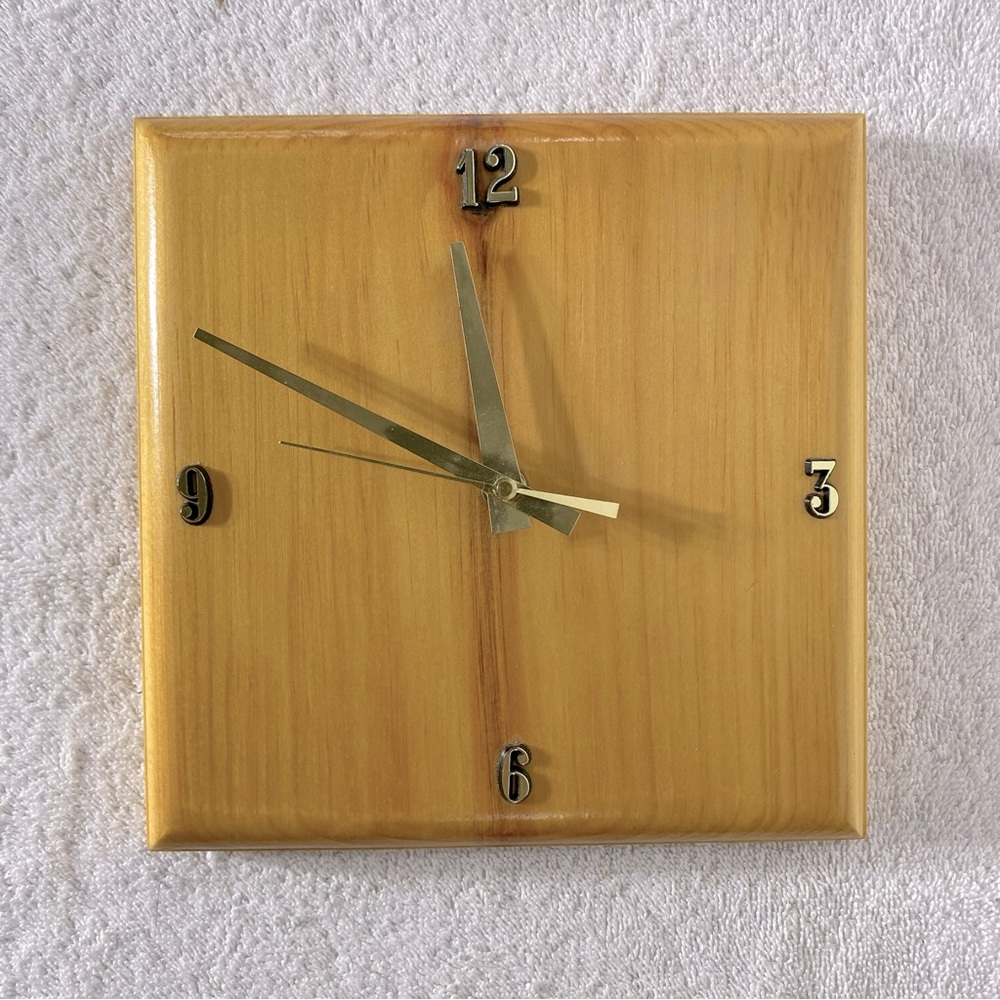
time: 11:48
